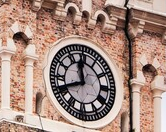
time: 11:41
